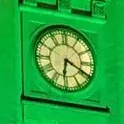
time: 6:19
